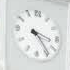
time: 3:23
